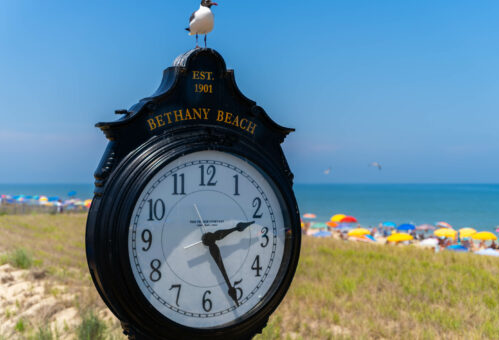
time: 2:25
